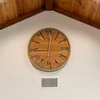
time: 9:01
